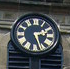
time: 2:26
